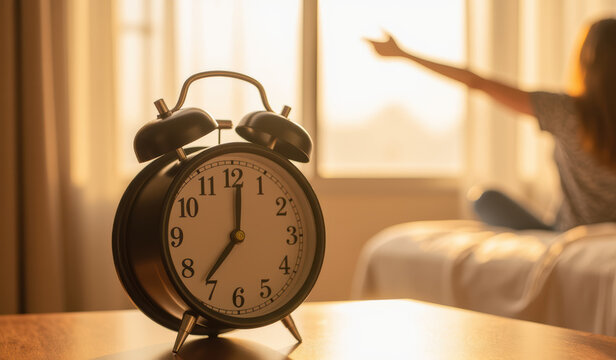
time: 7:01
